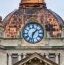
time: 1:32
